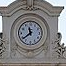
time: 11:38
